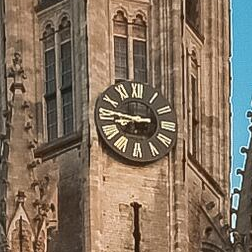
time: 8:46
